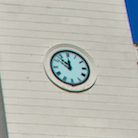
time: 11:52
